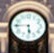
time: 5:45
